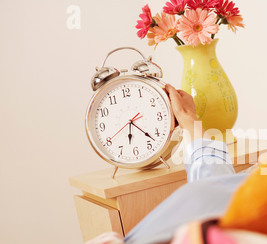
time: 6:22
